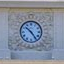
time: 10:24
